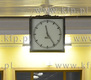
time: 11:24
